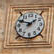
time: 1:49
